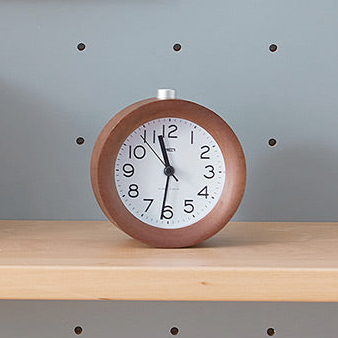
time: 11:31
